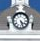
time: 4:26
